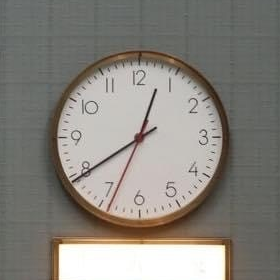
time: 12:39
